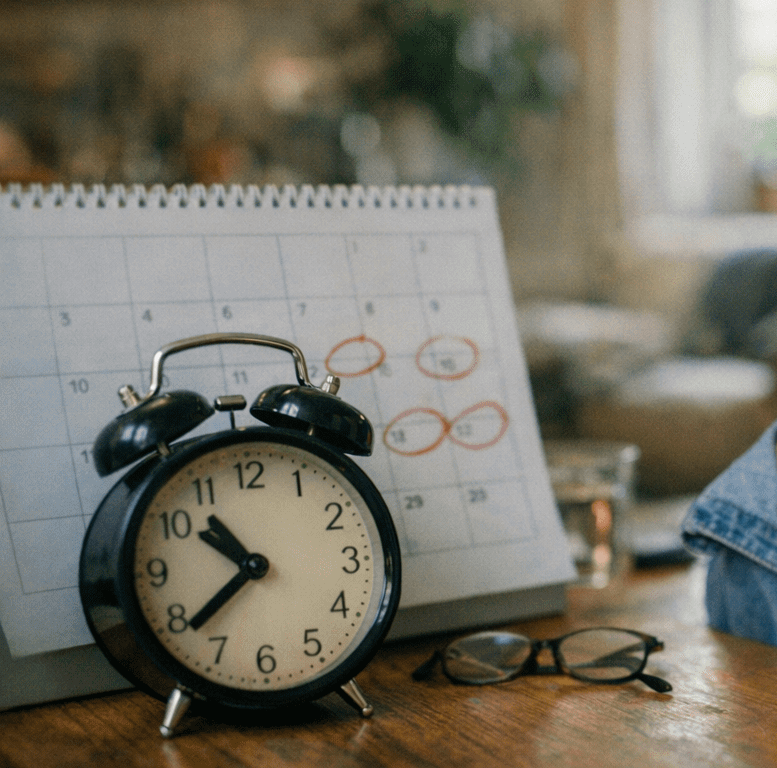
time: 10:38
